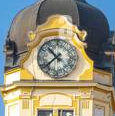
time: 10:38
